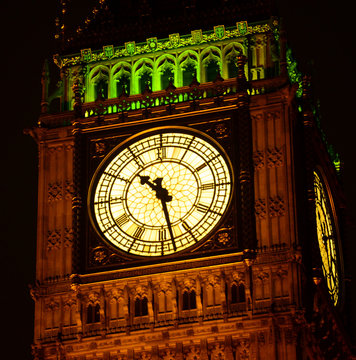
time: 10:28
